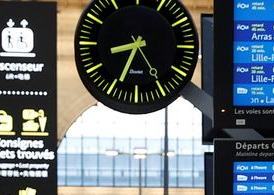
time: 8:34
